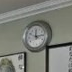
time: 12:14
